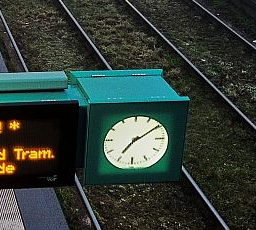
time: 7:09
